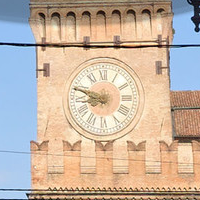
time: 8:48
